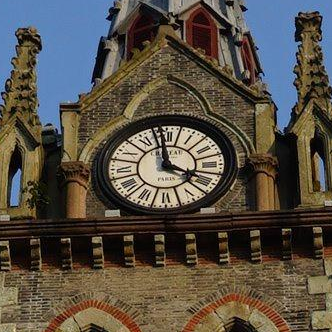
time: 3:58
